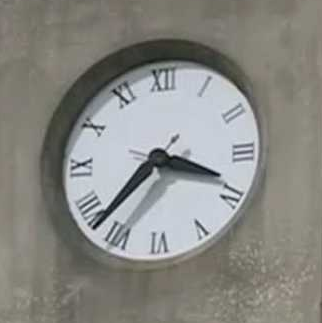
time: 3:37
